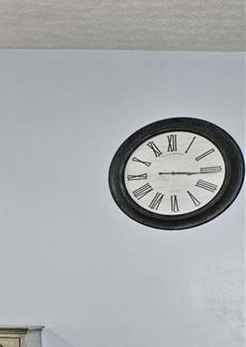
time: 3:15
